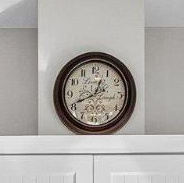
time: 12:41
